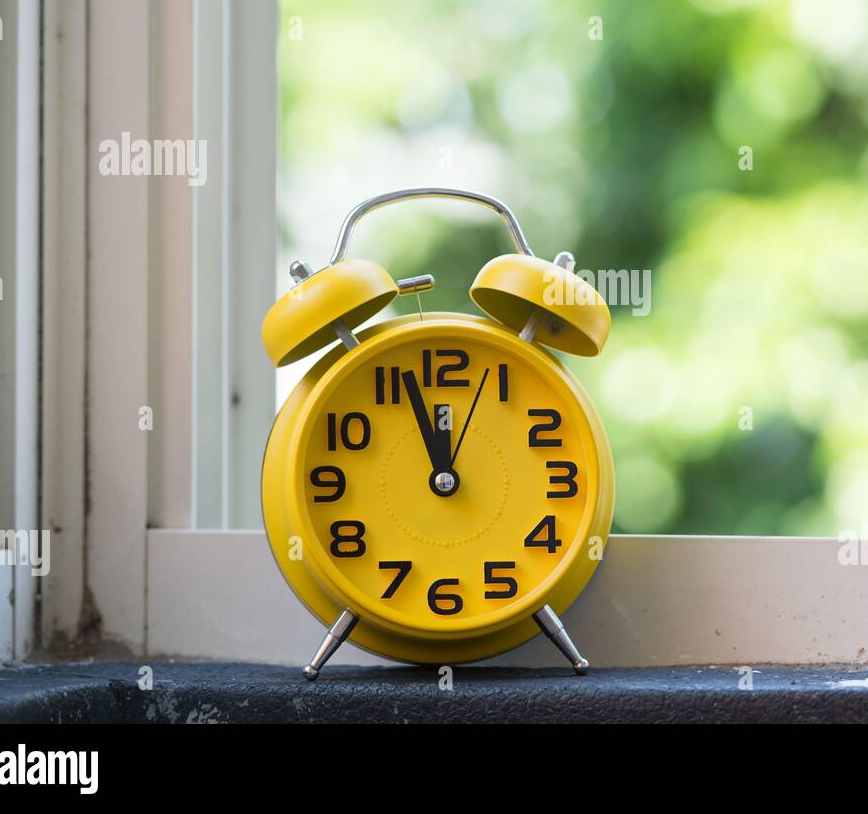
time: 11:56
